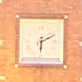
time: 6:10
